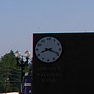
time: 8:18
